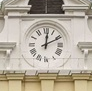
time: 12:10
